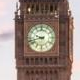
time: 9:42
